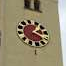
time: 1:18
